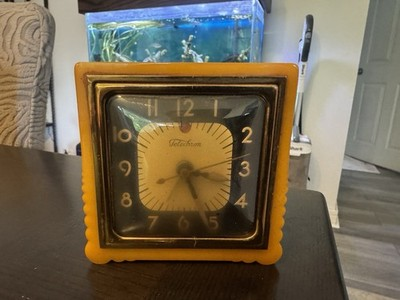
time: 5:18
